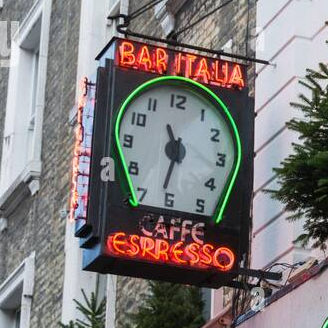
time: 11:32
